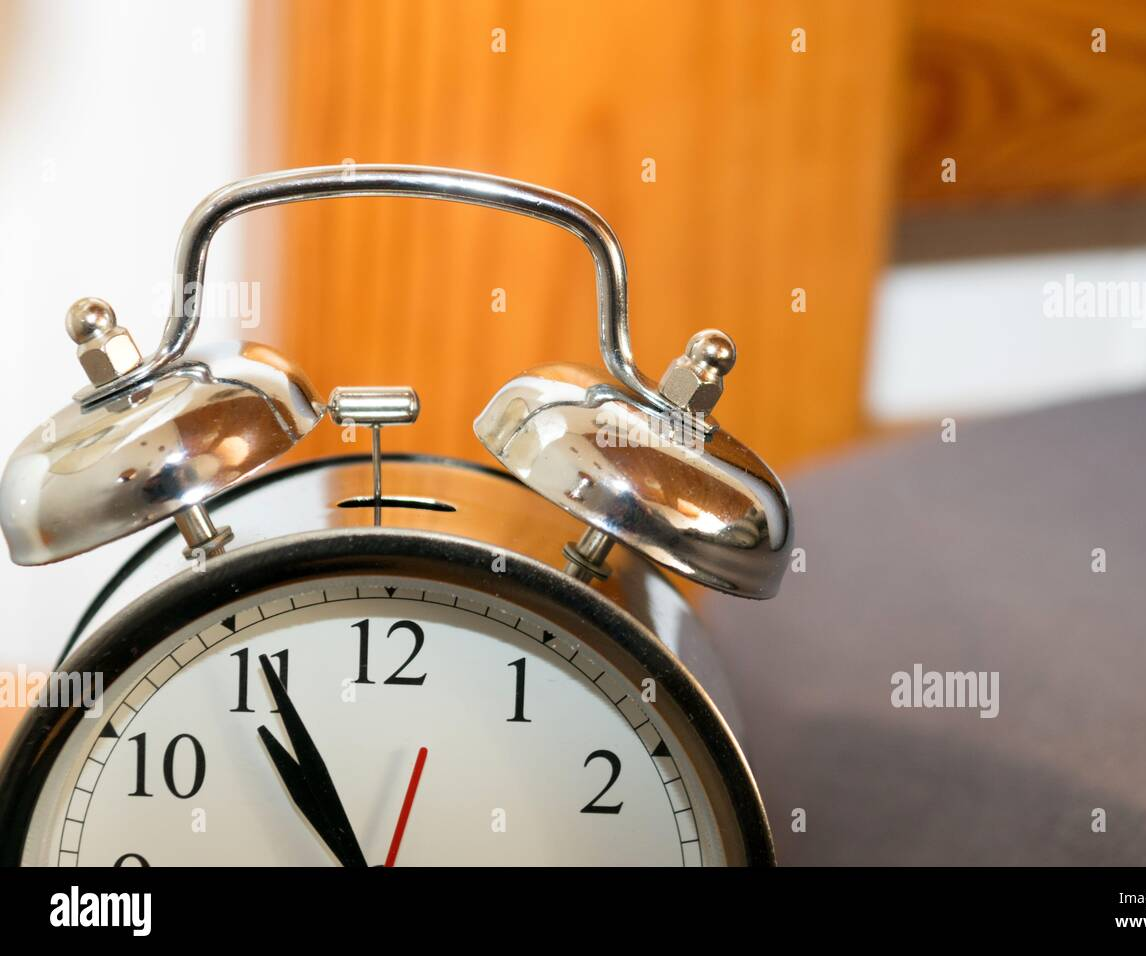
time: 10:55
